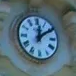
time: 12:09
